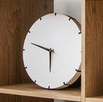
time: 5:47
